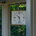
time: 10:28
